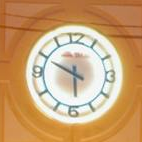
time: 5:49
